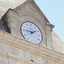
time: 1:45
